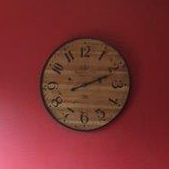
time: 2:11
